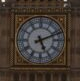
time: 5:11
